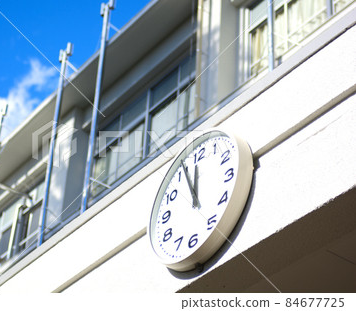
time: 11:55
